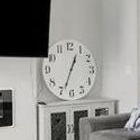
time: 12:33
